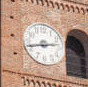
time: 2:42
